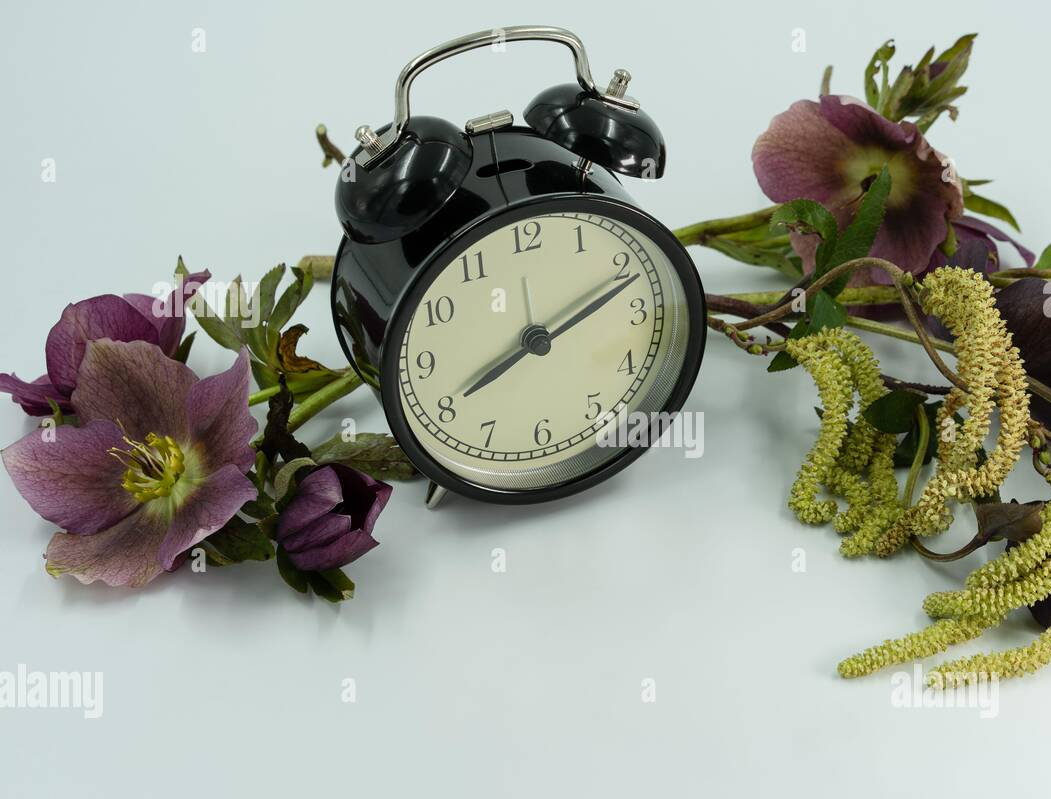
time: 8:11
